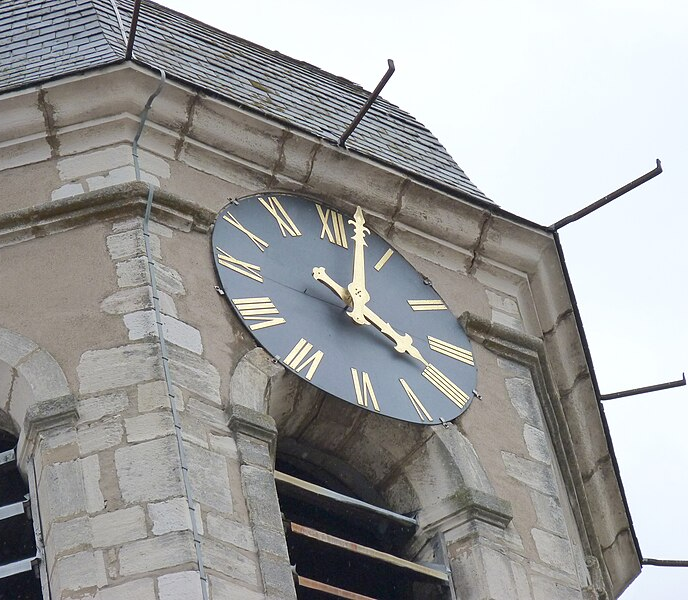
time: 4:02
